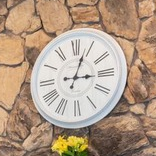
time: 3:03
